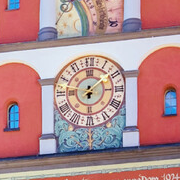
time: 6:08
